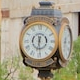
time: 6:29
